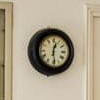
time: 12:28
